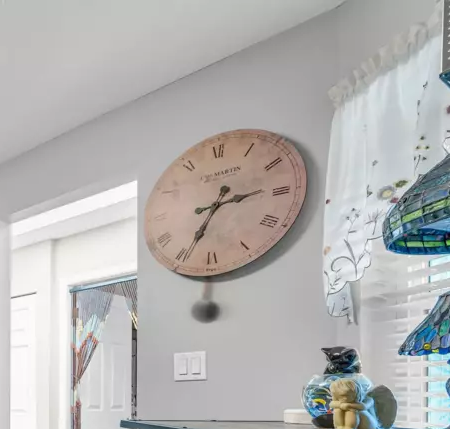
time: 2:34
